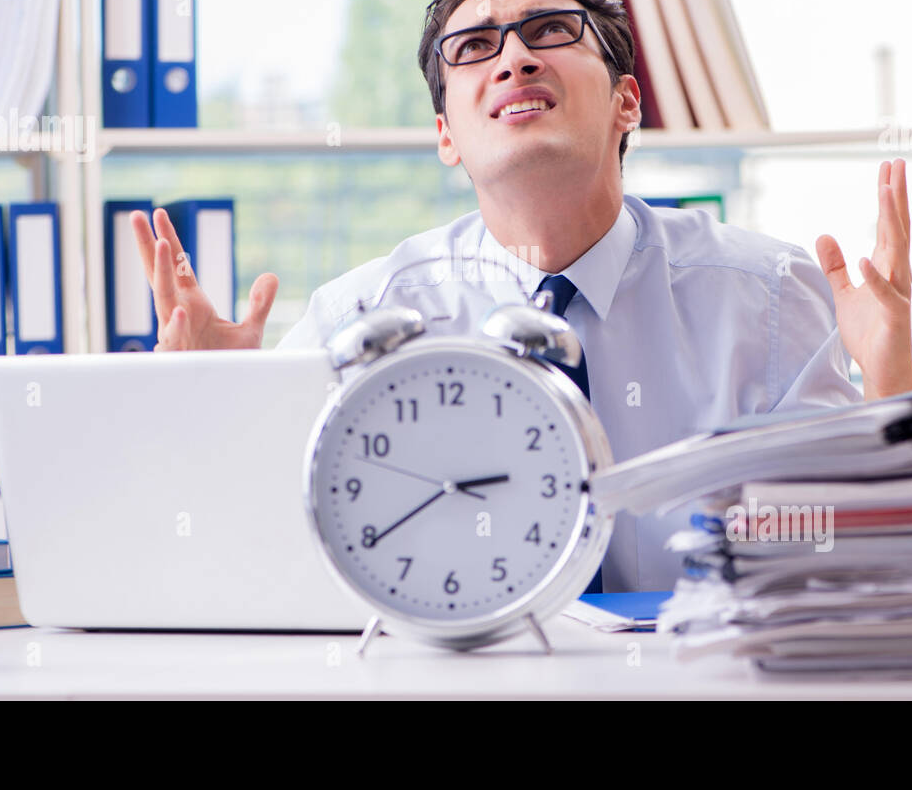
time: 2:39
